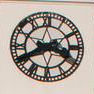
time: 3:40
